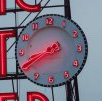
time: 8:40
